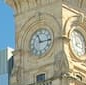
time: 11:14
